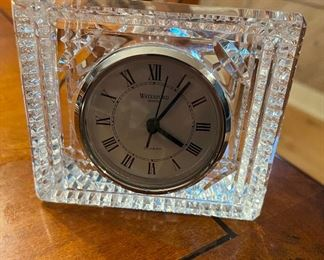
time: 4:06
